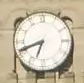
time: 6:41
